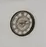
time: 2:15
